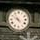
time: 9:53
